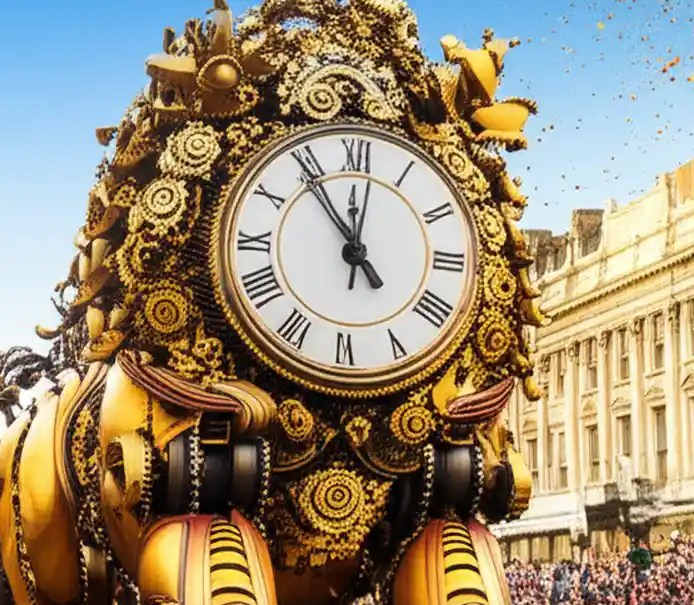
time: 11:53
